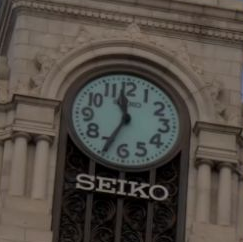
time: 11:34
